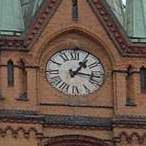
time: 1:16
